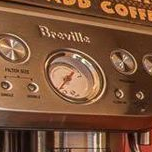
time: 1:37
